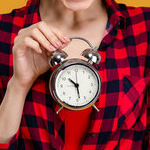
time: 10:28
